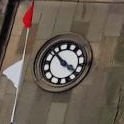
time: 10:20
